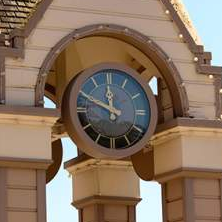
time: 11:49
